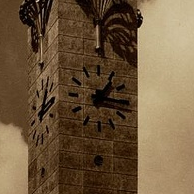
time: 1:16
